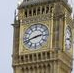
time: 2:42
